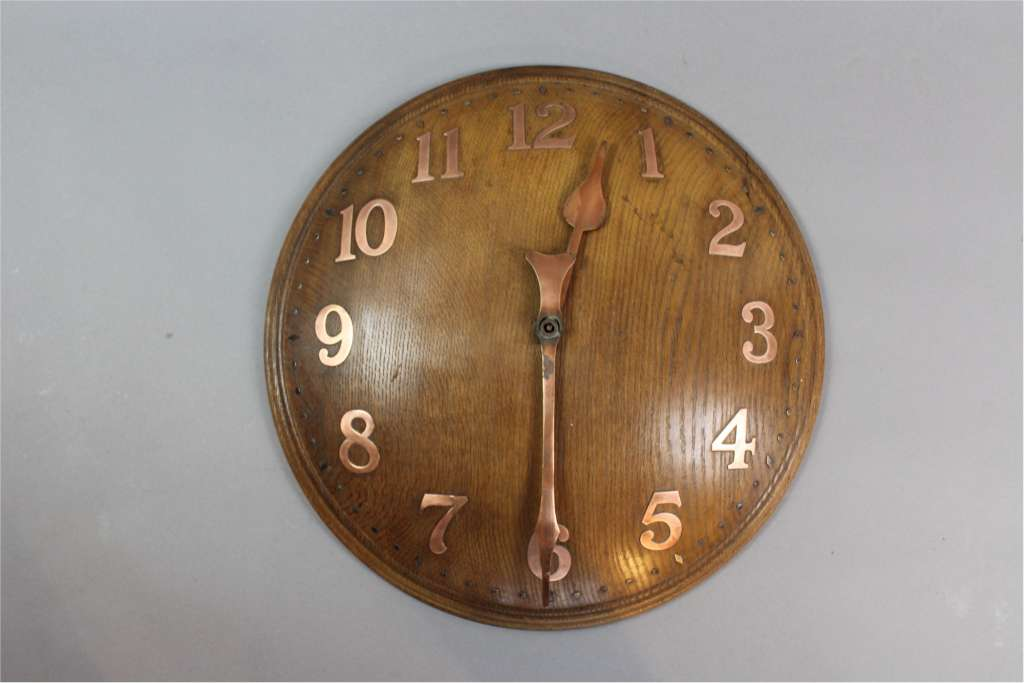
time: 12:30
